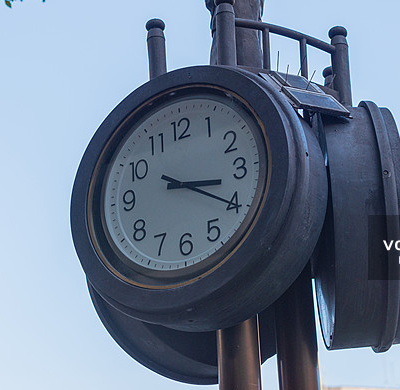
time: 3:20
